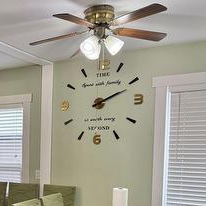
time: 2:11
